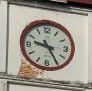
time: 9:24
